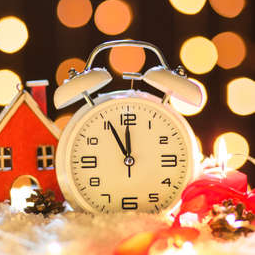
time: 11:55
